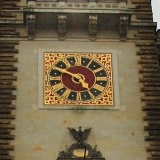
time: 4:48
